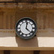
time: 12:22
